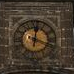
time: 12:18
